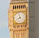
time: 7:58
